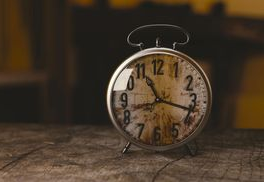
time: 11:17
